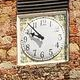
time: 9:53
